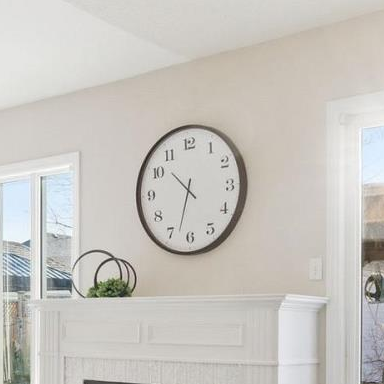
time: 10:32
